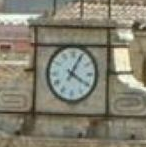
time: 4:04
